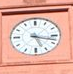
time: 5:17
